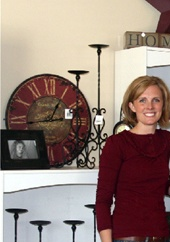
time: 1:13
